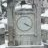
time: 4:20
